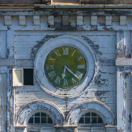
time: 6:21
